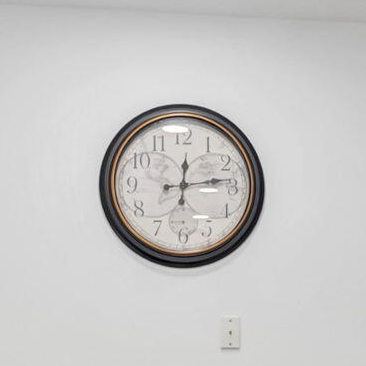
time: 12:13
